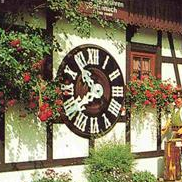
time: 10:40
